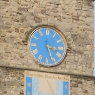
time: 3:26
